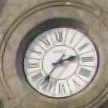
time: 2:36
